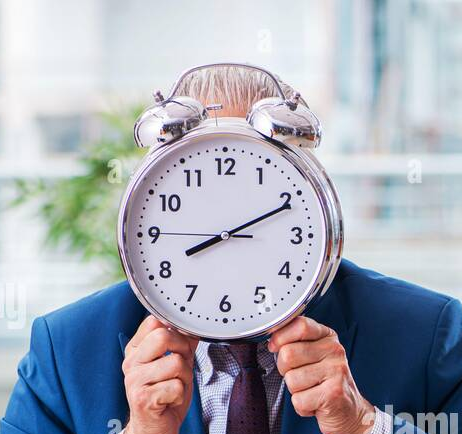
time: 8:11
